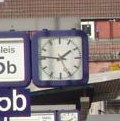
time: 1:46
